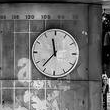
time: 11:36
